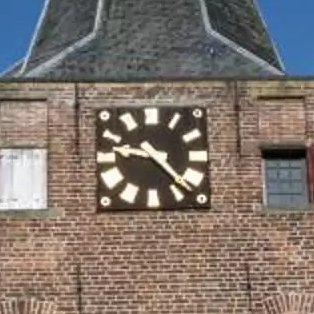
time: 9:22
